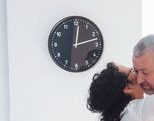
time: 12:12
